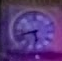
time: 5:42
